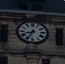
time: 8:34
